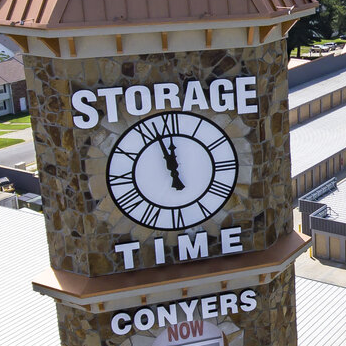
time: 11:56
